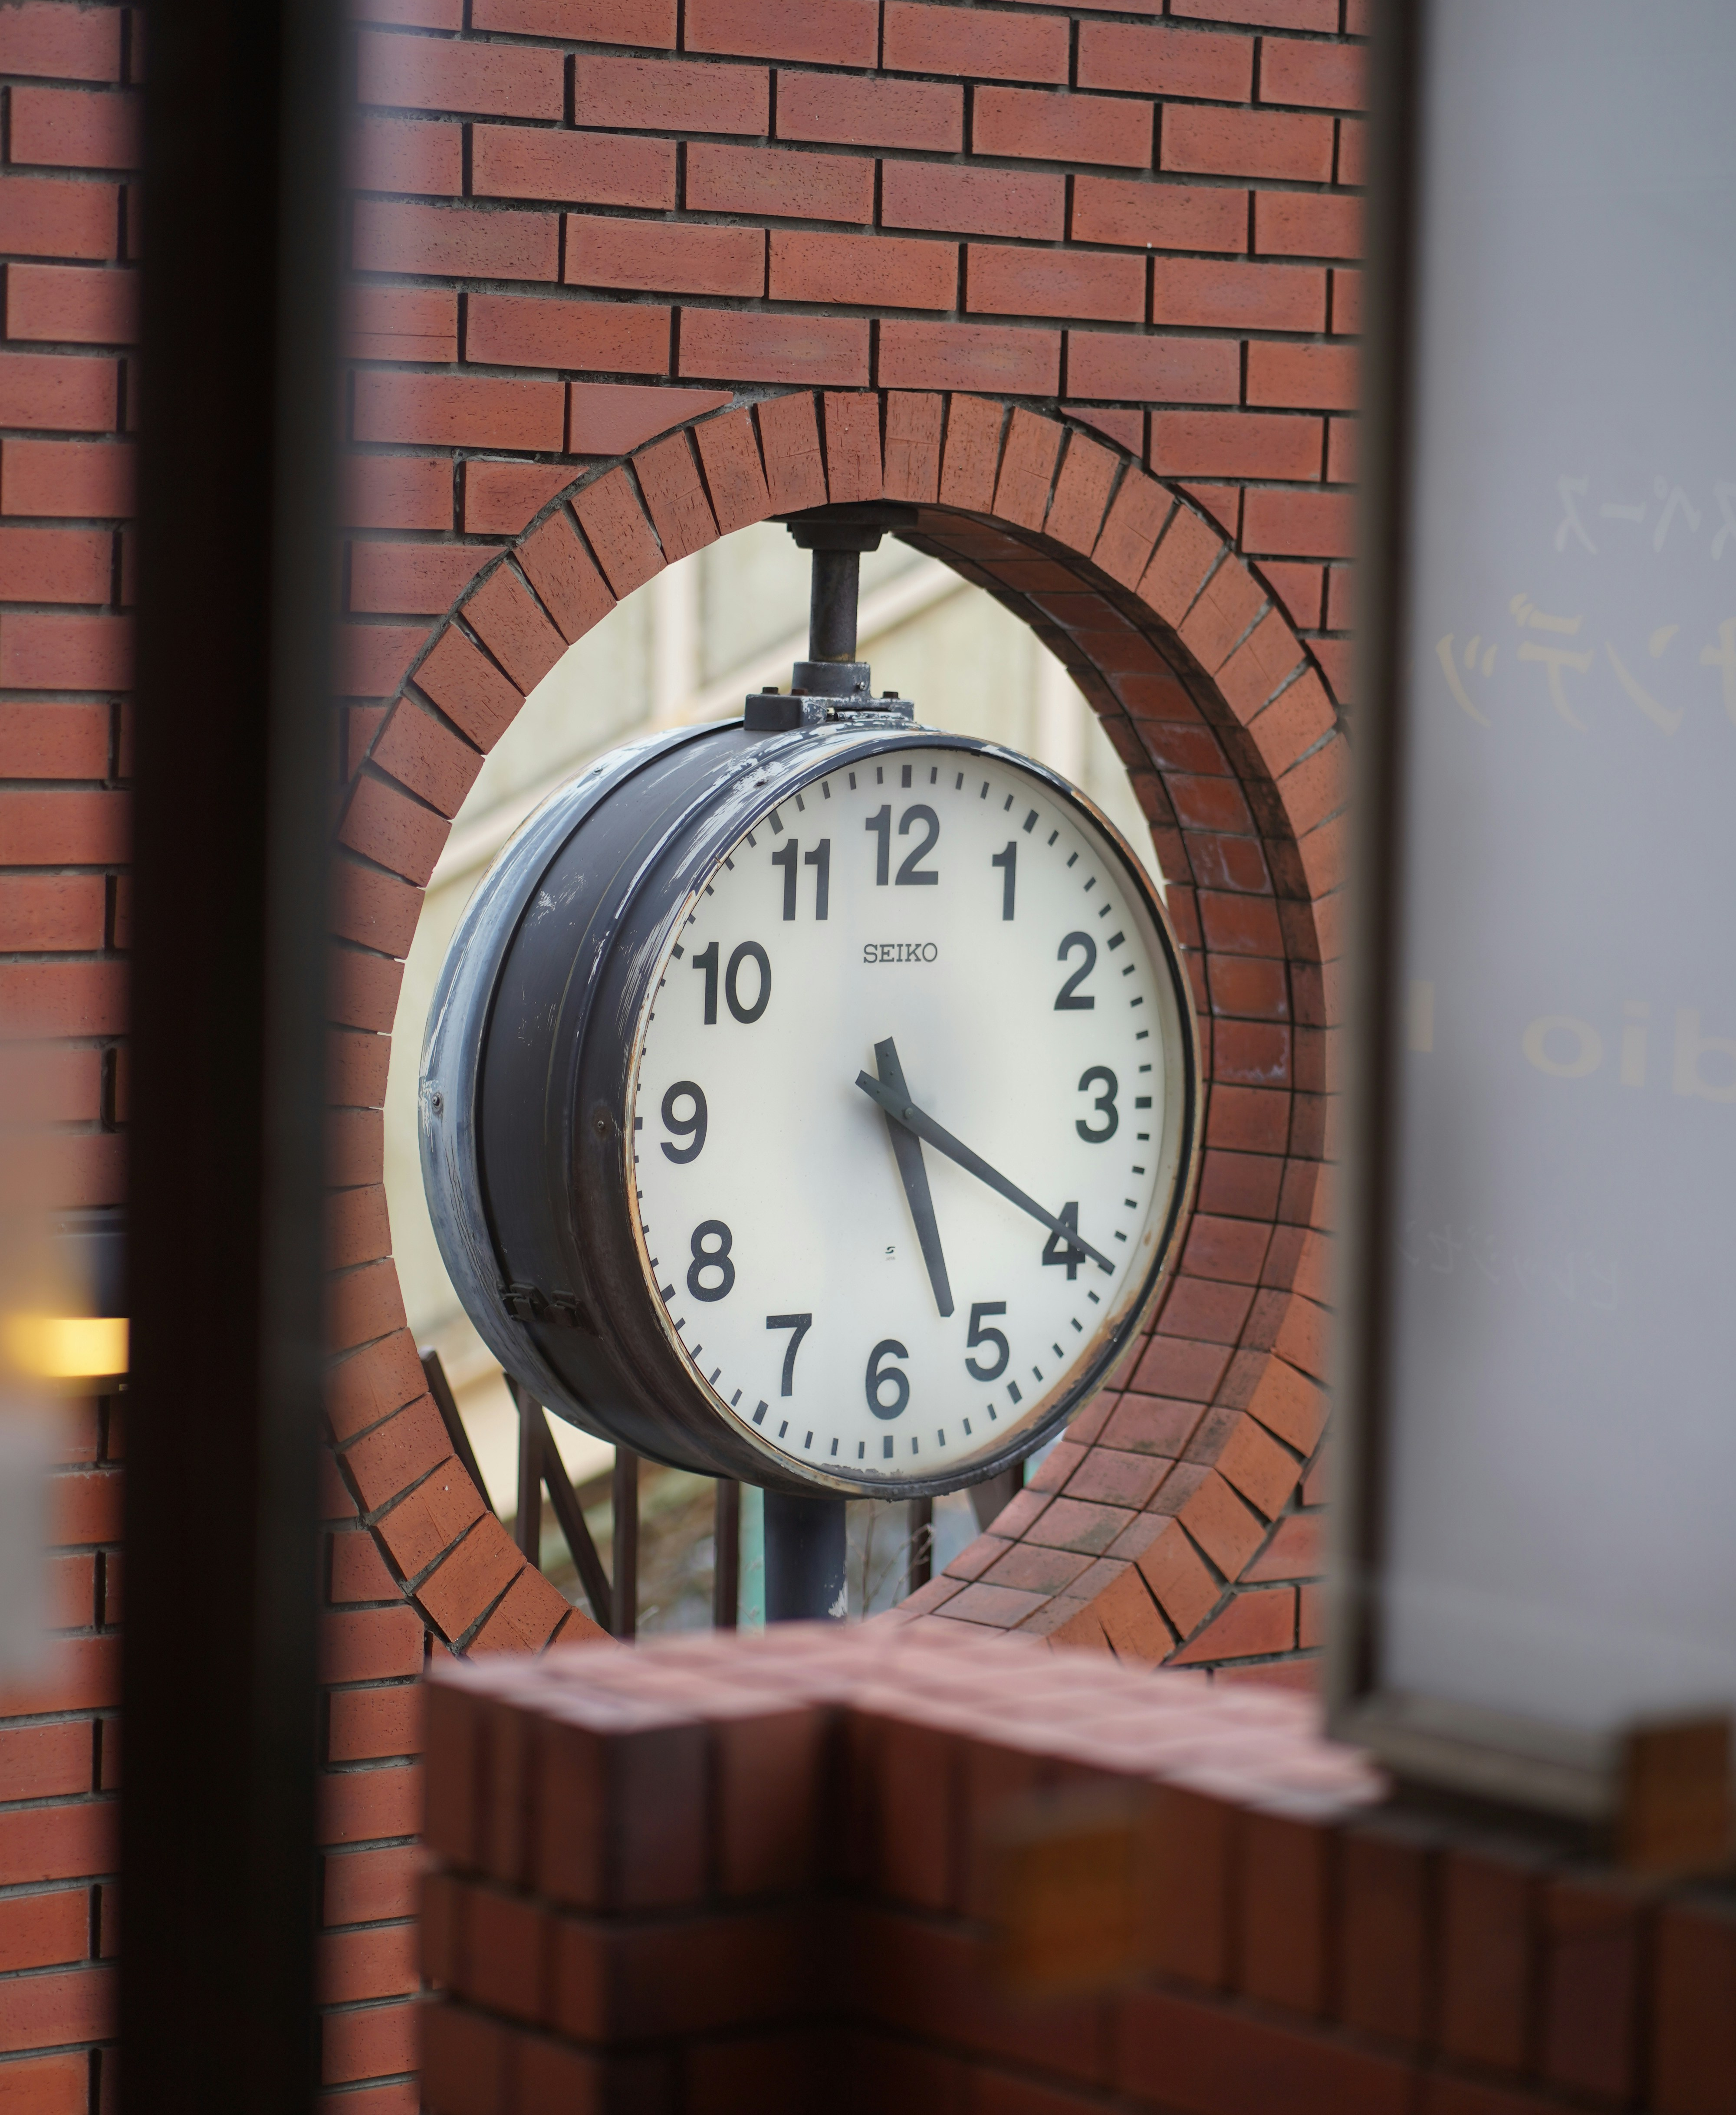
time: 5:19
